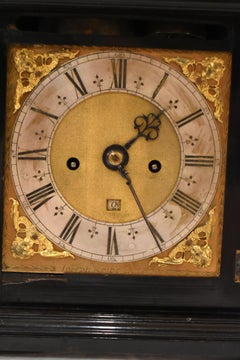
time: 1:24
